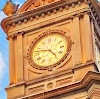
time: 4:46
